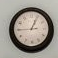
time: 1:04
